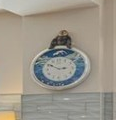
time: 2:50
